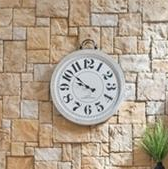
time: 9:51
